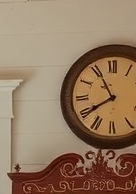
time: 7:55
